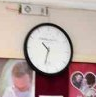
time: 10:32
